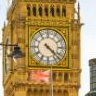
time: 4:22
